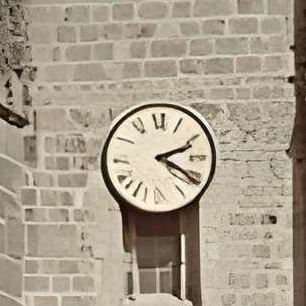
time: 2:20
